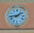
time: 1:43
